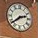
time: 2:38
